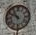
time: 10:50
